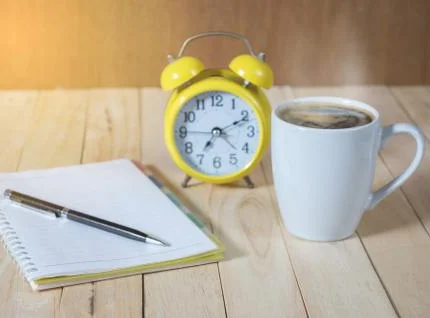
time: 7:10
